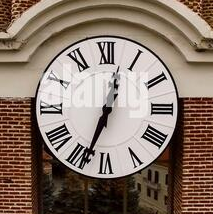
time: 12:33
